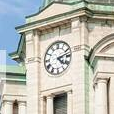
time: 4:12
